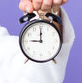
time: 8:59
